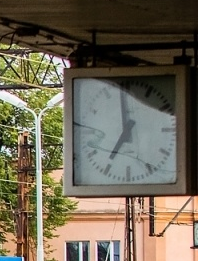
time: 6:59
